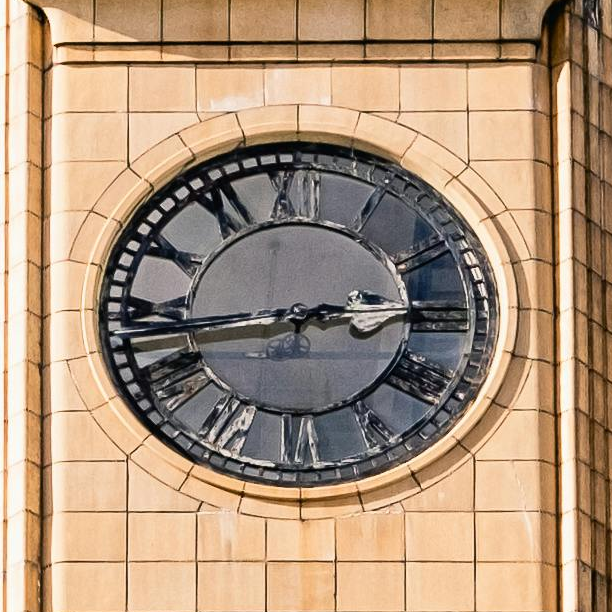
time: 2:43
